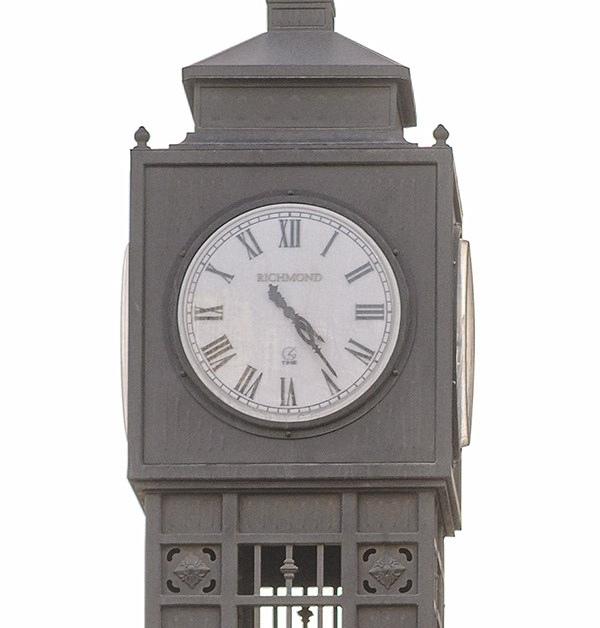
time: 4:23
